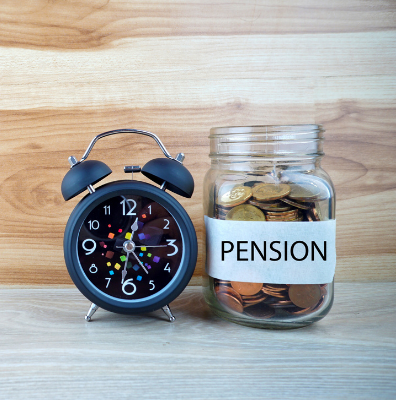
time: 12:32
